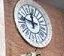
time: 11:46
